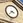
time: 3:37
